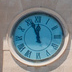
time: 11:56
